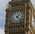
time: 1:23
